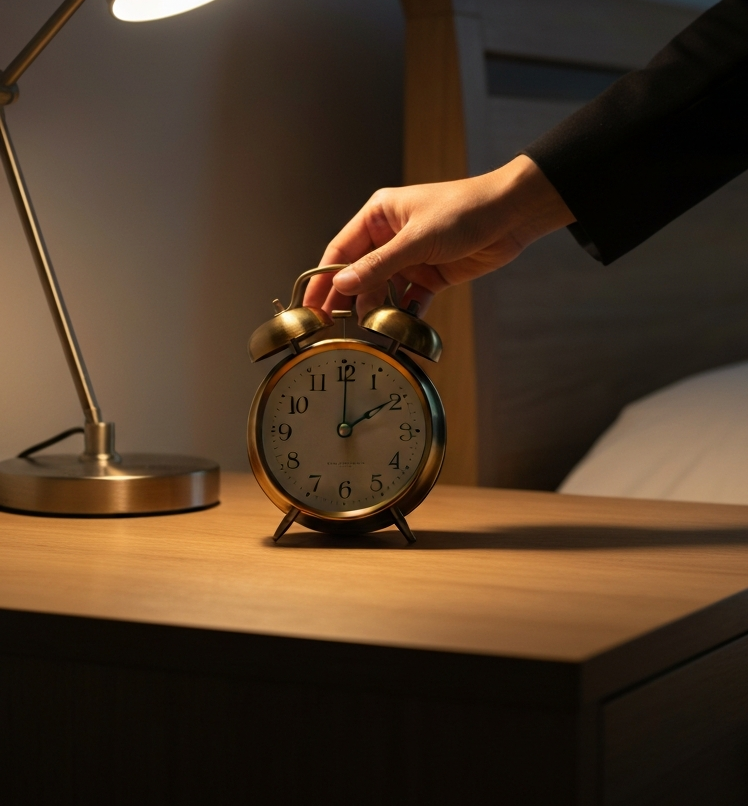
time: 2:00
